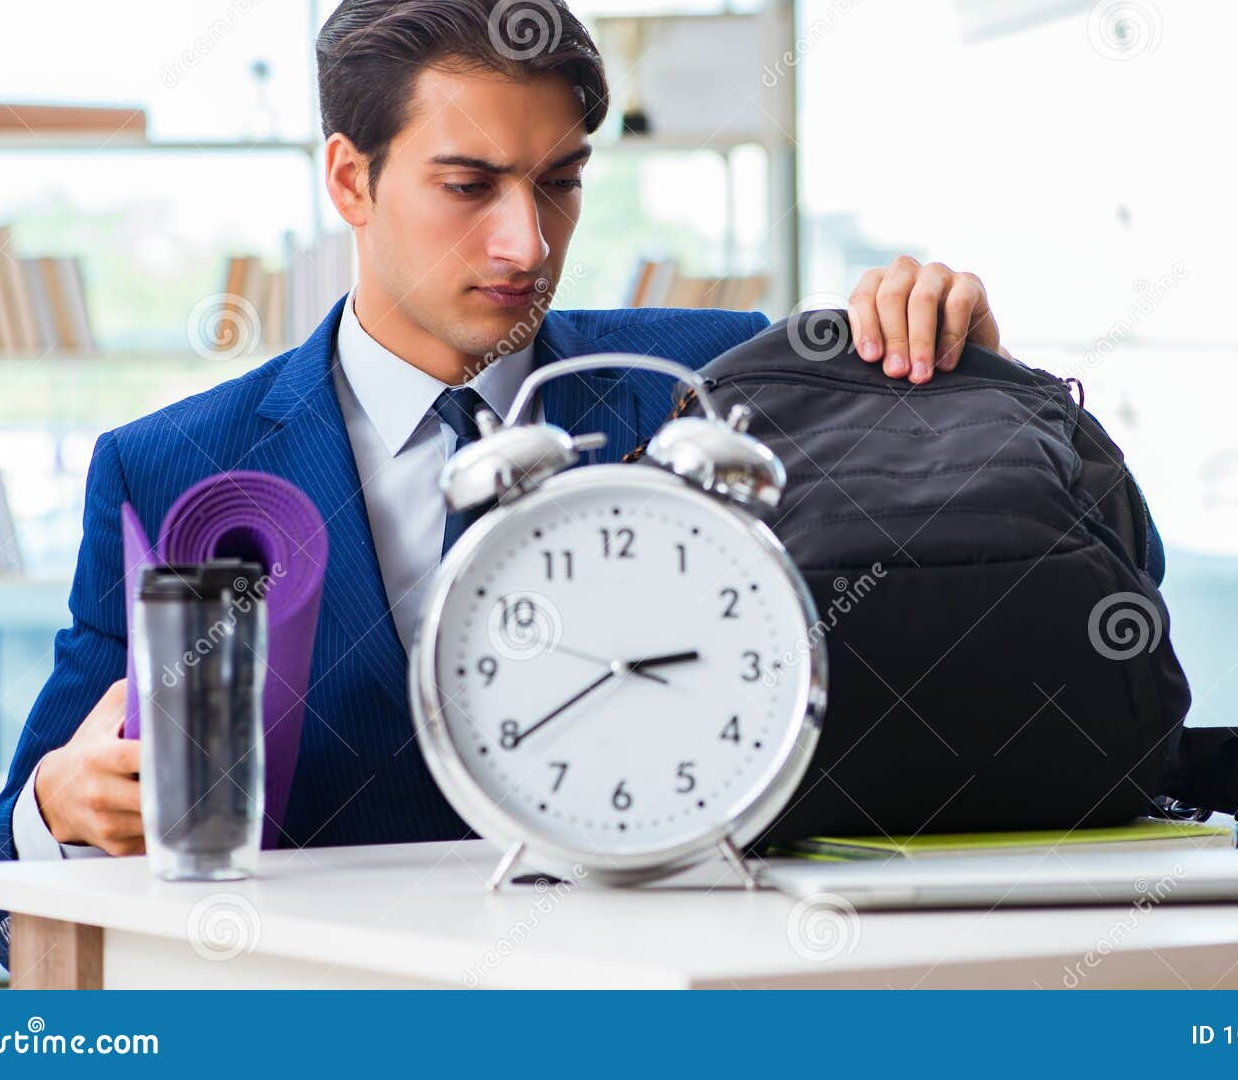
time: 2:39
